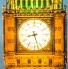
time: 8:27
